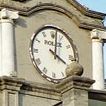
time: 4:01
